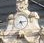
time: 5:13
